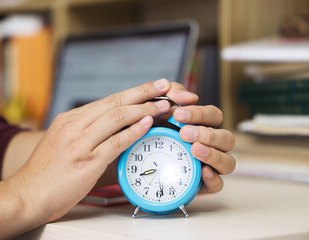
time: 8:28
